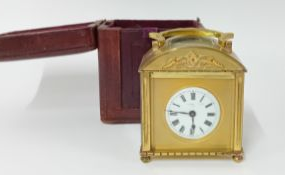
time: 5:45
